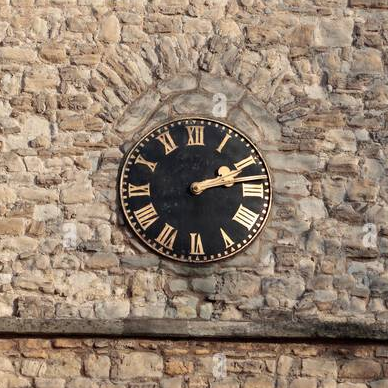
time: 2:13
